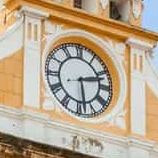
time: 2:28
